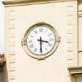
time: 3:29
